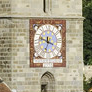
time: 11:48
